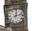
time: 12:12
